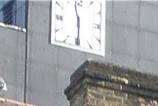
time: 5:57
